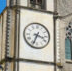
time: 3:33
